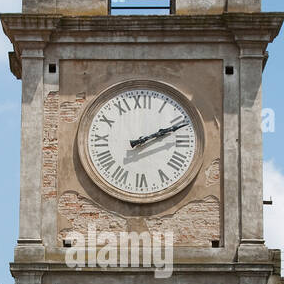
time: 2:11
